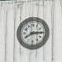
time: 8:14
